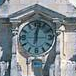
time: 12:01
